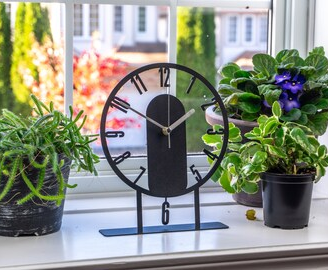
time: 1:50
